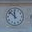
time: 11:52
